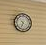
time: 6:52
